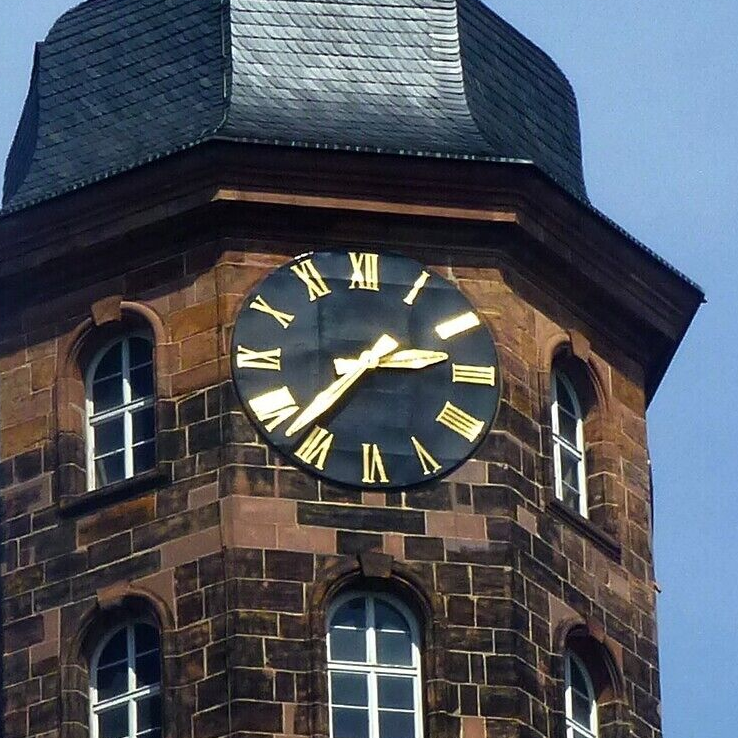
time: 2:37
